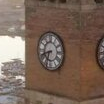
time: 6:41
